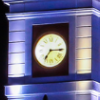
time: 7:14
